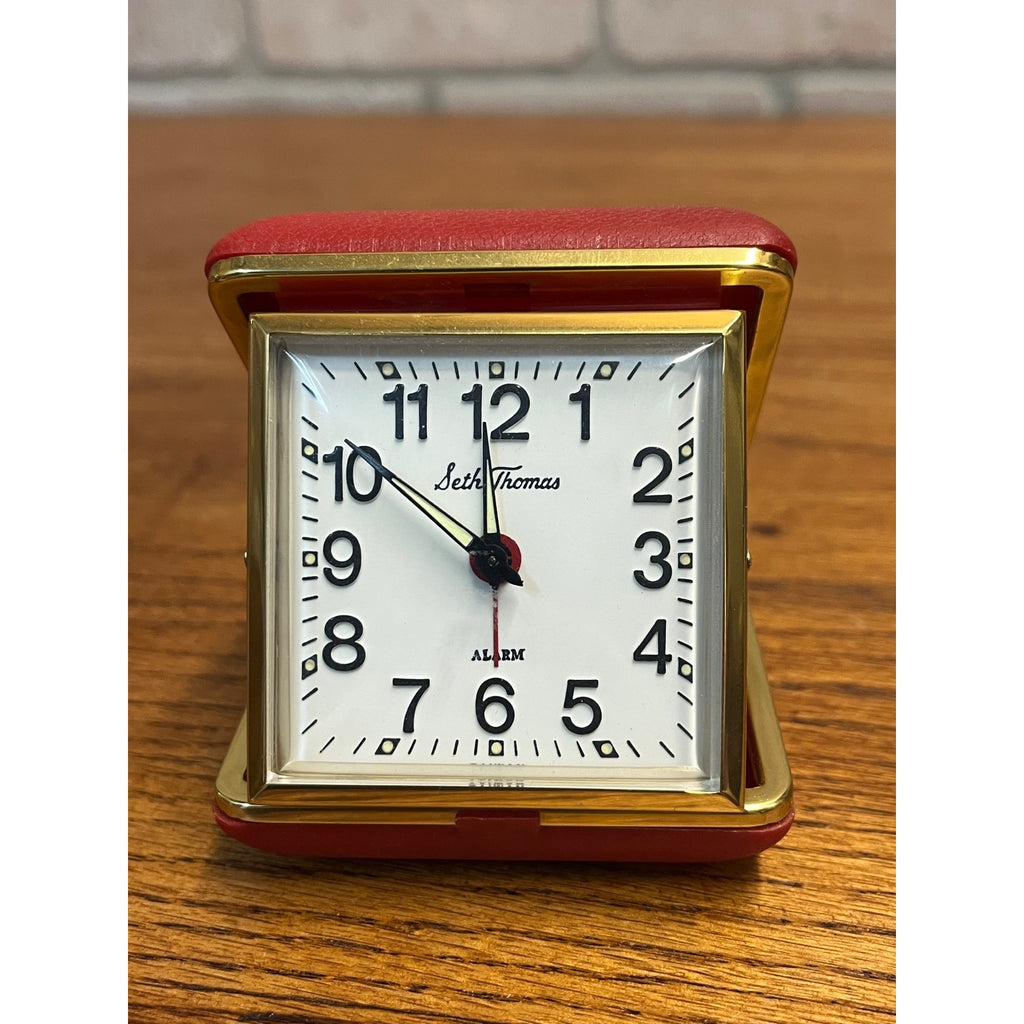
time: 11:51
